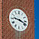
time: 9:18
